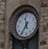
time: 11:35
